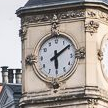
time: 6:09
